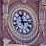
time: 11:12
